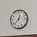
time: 12:37
